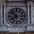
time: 7:52
